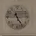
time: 11:24
